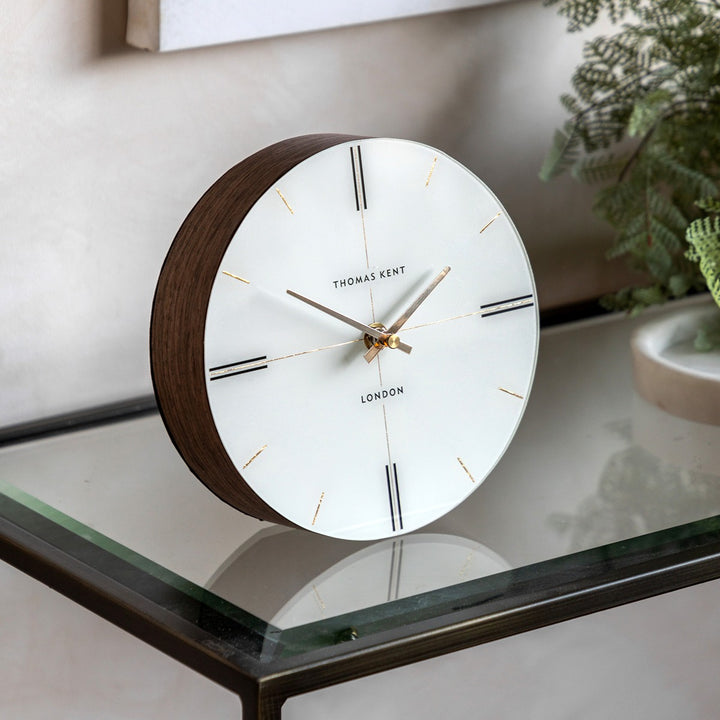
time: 1:50
